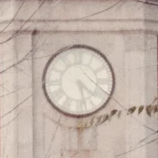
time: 4:27
